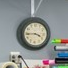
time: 3:44
